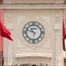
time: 10:48
